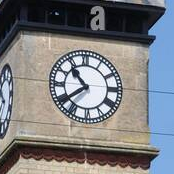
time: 10:39
